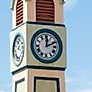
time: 12:11
